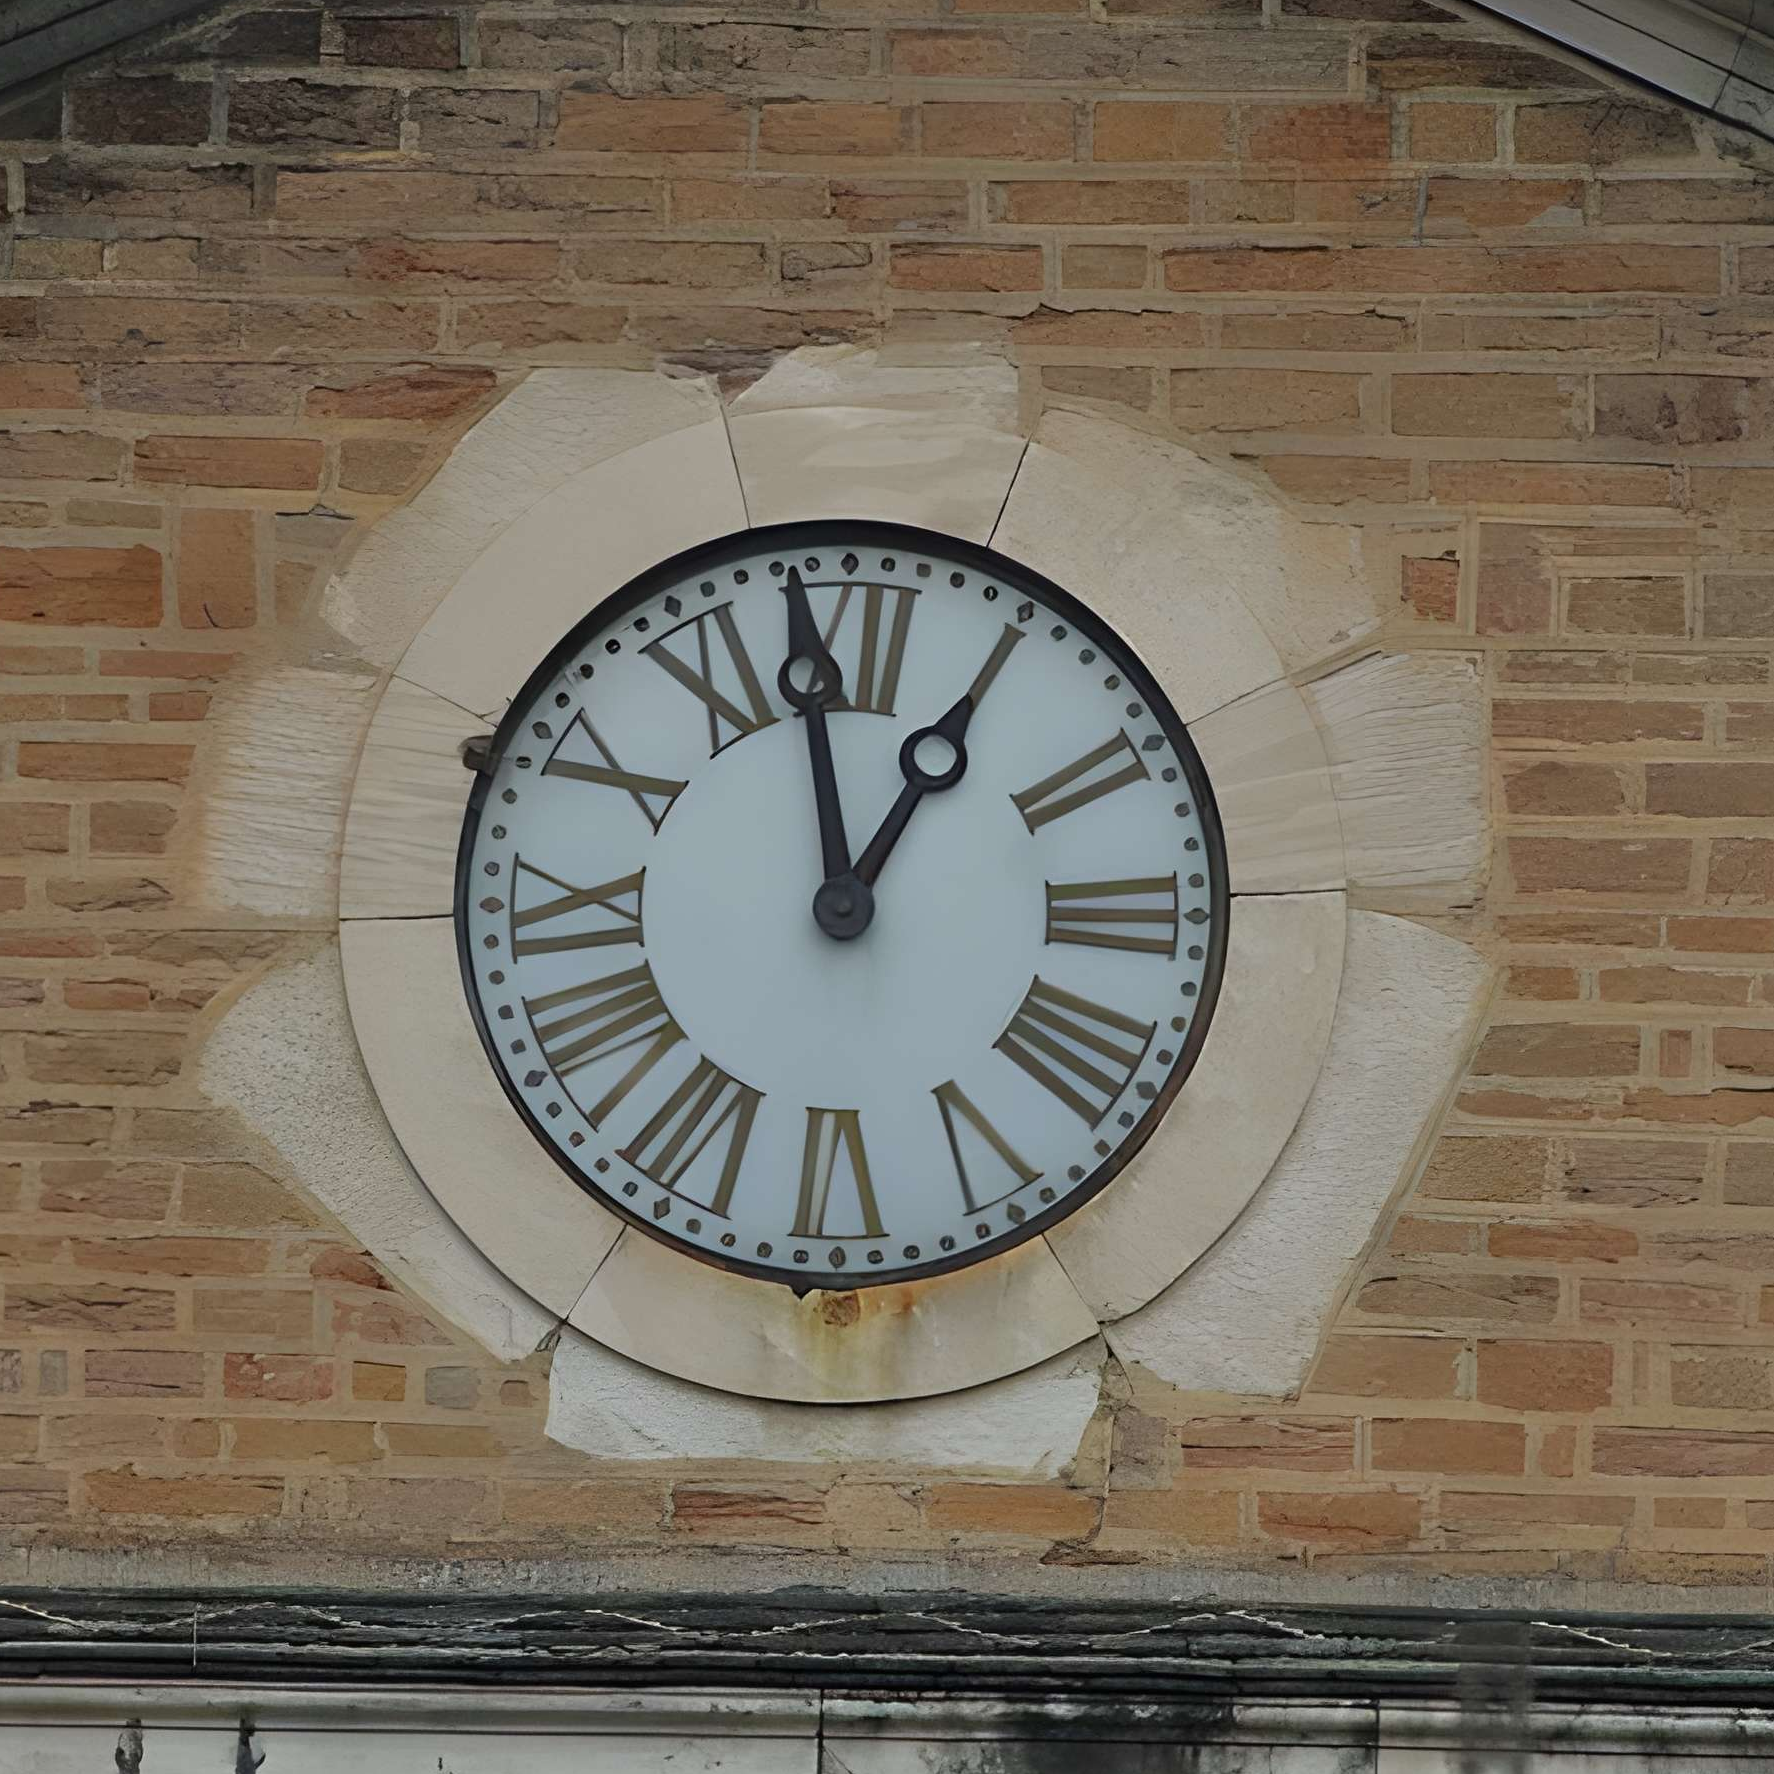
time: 12:58
